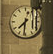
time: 7:31
